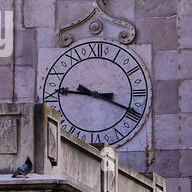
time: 3:45
